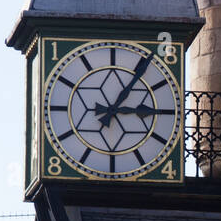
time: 3:05
